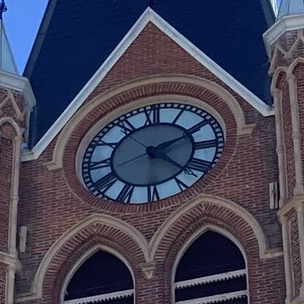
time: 2:21
